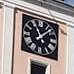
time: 11:07
